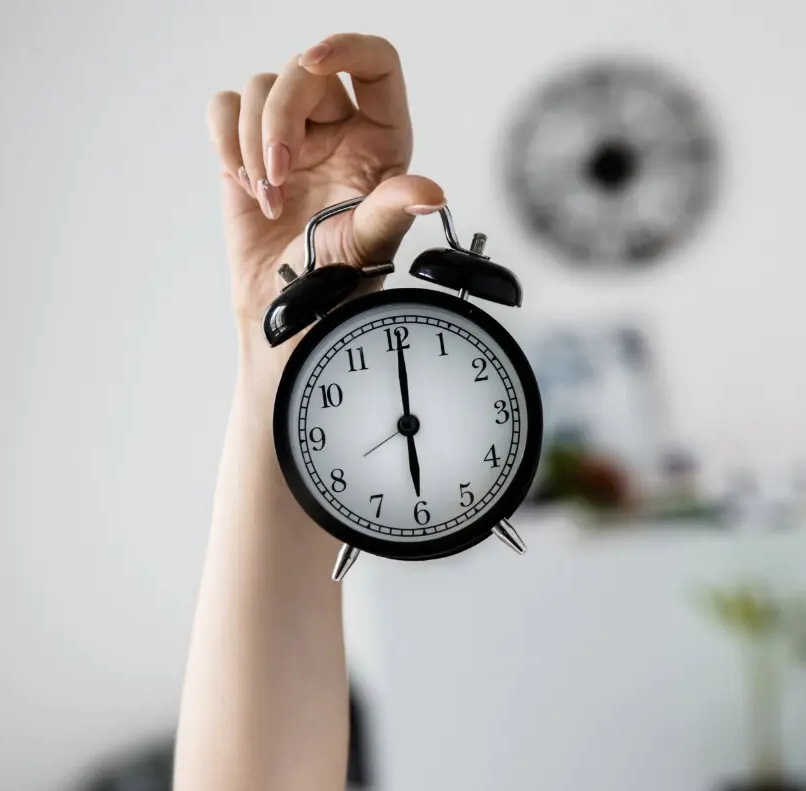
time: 6:00
